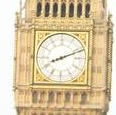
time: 8:11
